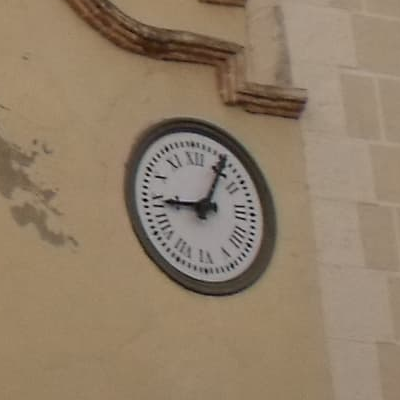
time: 9:05
